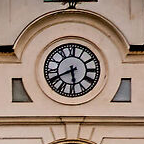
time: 5:40
